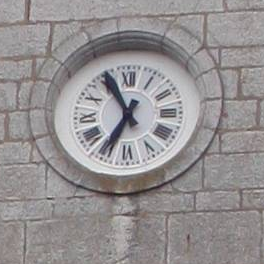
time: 6:55
